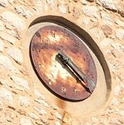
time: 4:22
